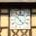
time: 4:52
